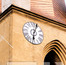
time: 6:03
